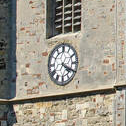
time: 4:19
